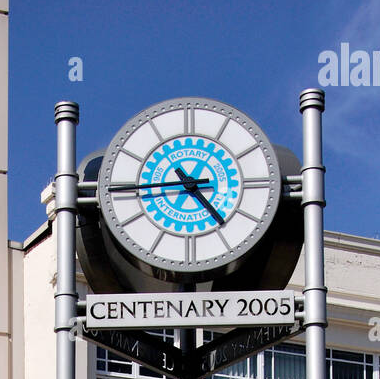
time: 4:44
